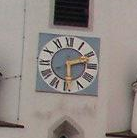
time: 2:29
